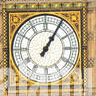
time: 1:05
